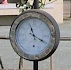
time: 11:19
